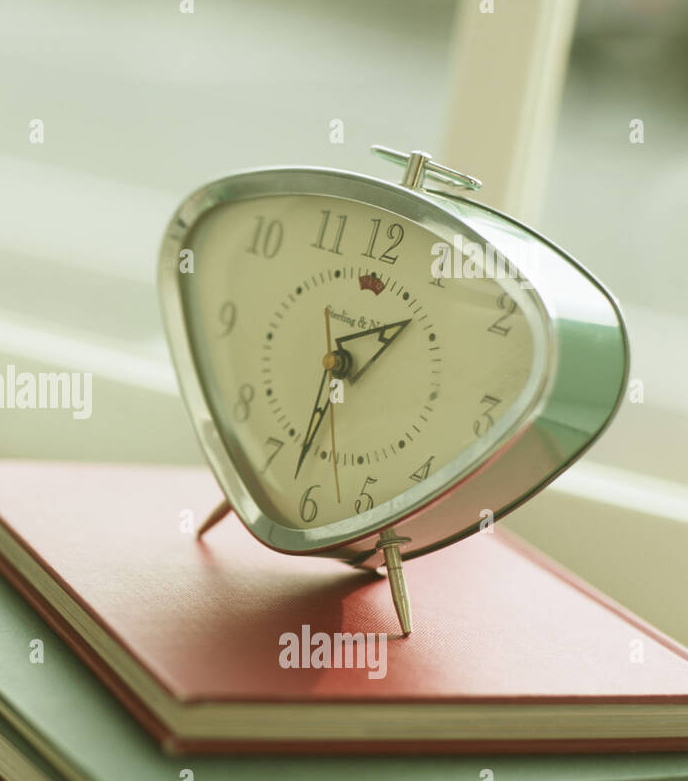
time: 1:32
